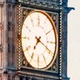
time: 7:18
